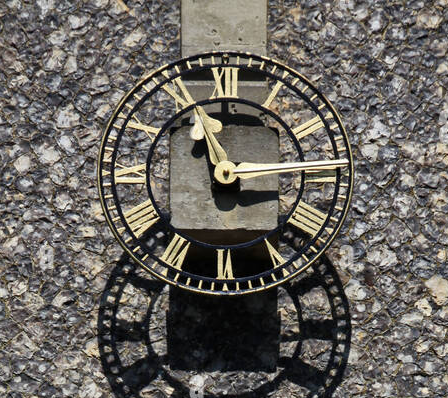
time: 11:14
